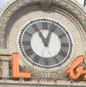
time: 11:03
